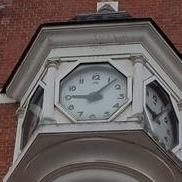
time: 9:07
